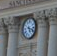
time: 5:18
